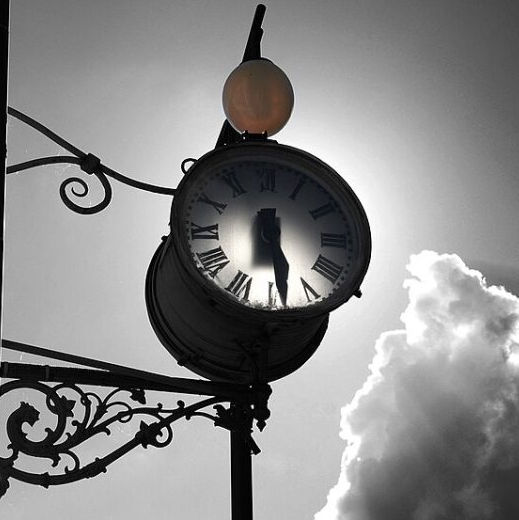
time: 6:28
